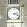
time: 2:18
